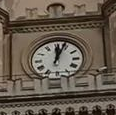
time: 12:03
